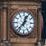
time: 12:37
